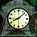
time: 8:07
